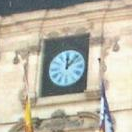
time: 12:07
